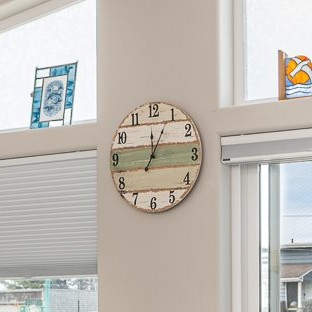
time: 12:04
